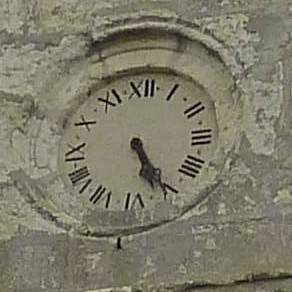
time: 5:25
